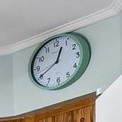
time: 12:40
